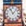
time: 11:07
